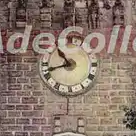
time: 10:42
